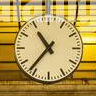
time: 10:36
